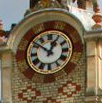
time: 12:51
